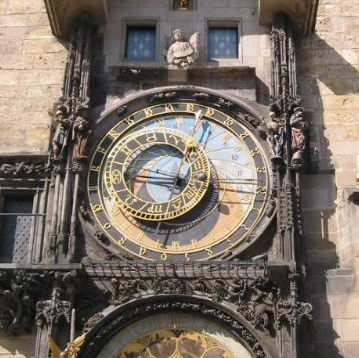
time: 12:45
